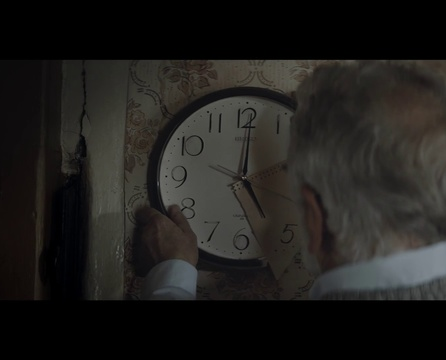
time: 5:01
